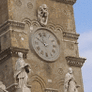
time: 9:57
